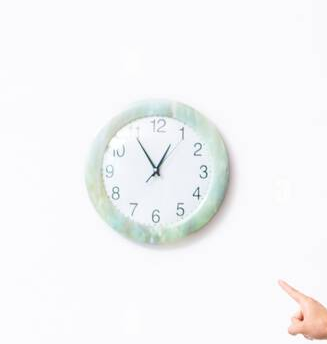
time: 12:54
